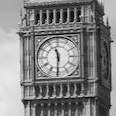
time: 11:30
